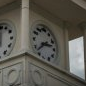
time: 2:38
